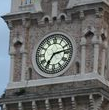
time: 7:13
